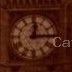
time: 12:14
